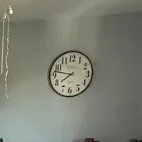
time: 7:46
